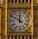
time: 11:49
